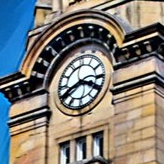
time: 3:40
